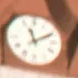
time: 11:10
